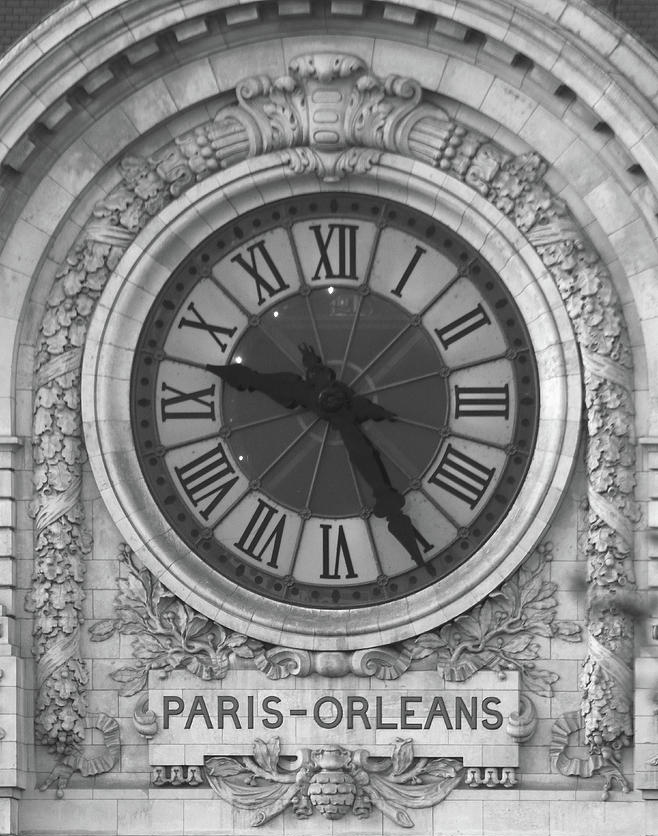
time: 9:25
